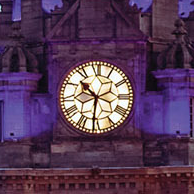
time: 10:31
